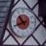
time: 10:41
